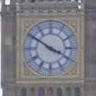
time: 3:50
